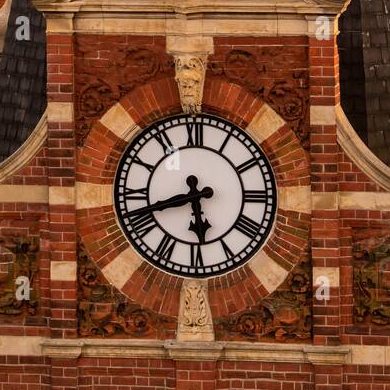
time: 5:41
